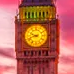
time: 9:42
